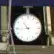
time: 10:44
